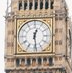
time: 12:28
